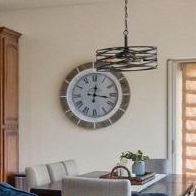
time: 12:16
